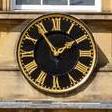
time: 1:54
